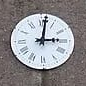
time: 3:01
